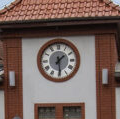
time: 1:29
